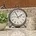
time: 1:56
